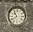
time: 10:40
